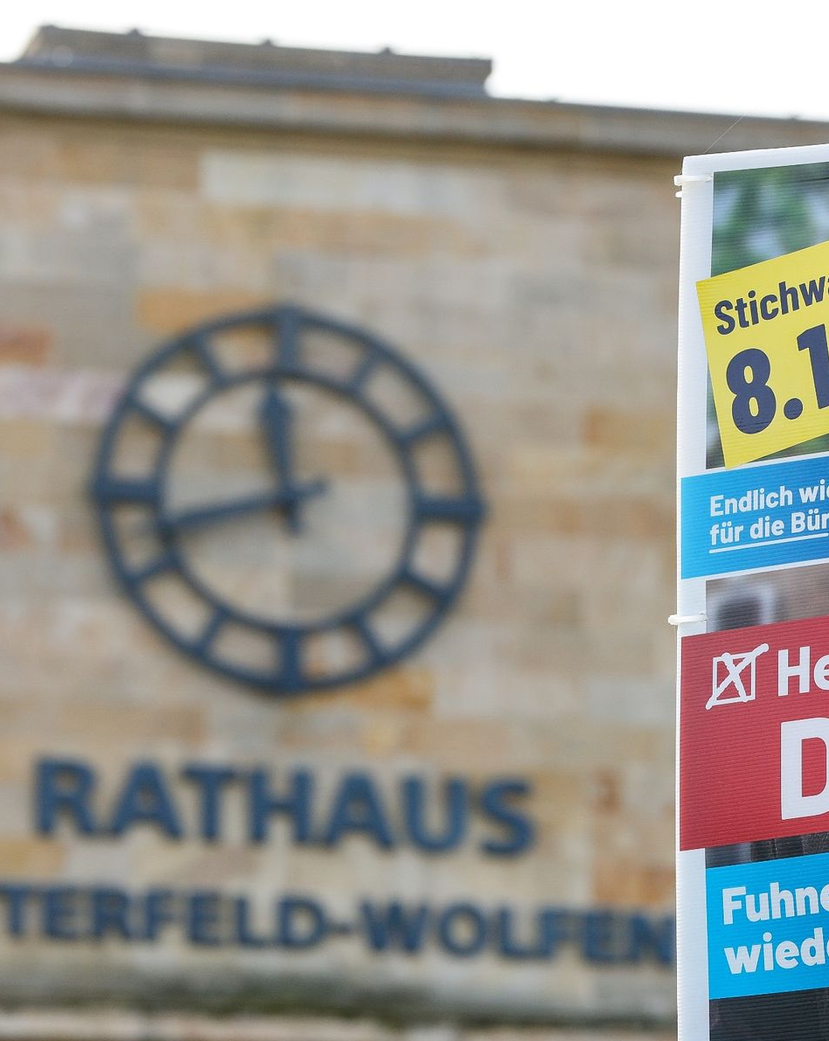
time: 11:42
